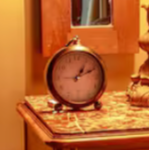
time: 1:11
